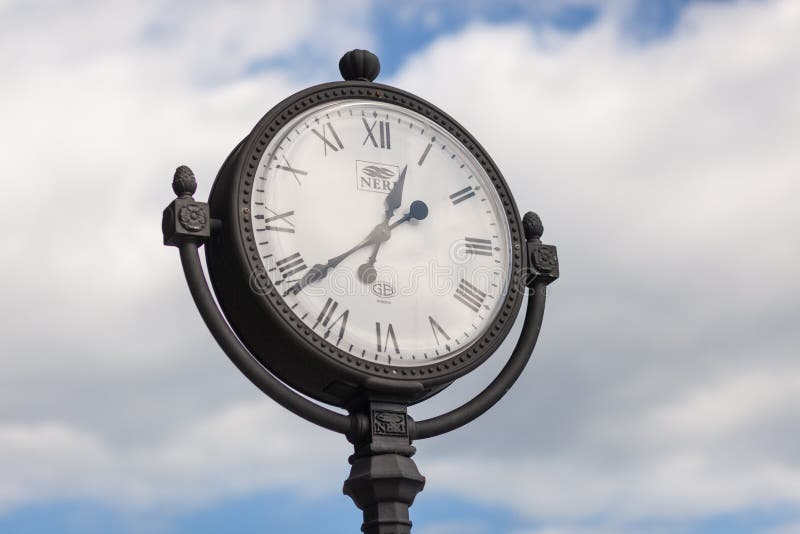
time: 12:38
